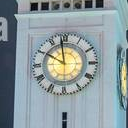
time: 9:58
